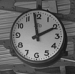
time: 1:58
